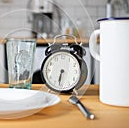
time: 6:31
